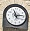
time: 11:13
